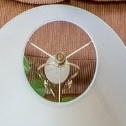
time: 1:49
